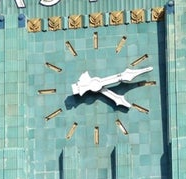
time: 4:12
